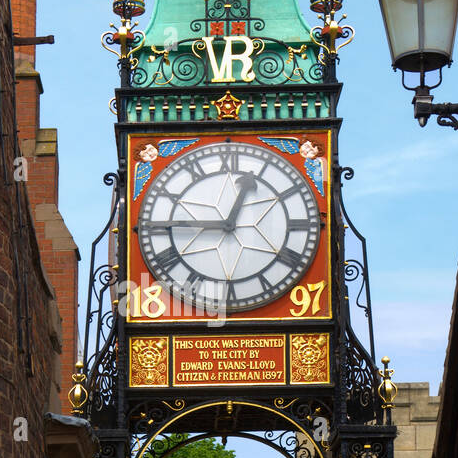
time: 12:45
